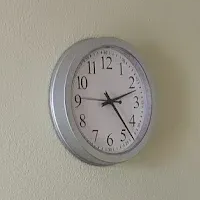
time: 2:23
